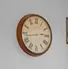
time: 2:43
